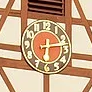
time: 6:13
